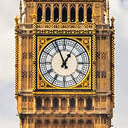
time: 12:56
